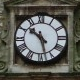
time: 10:27
